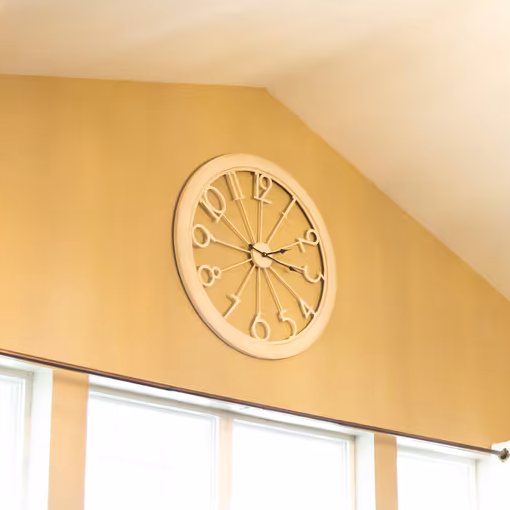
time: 2:15
